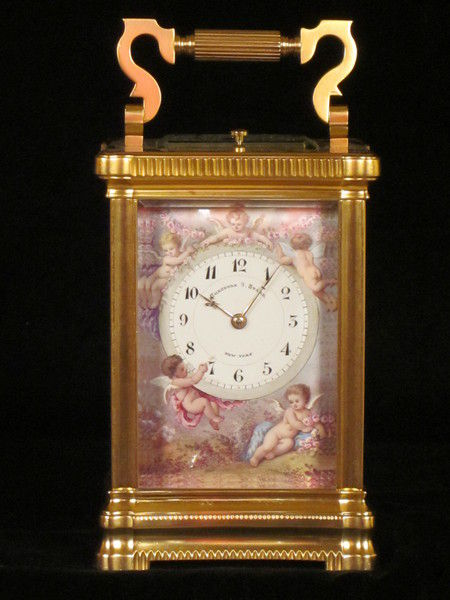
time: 10:07
